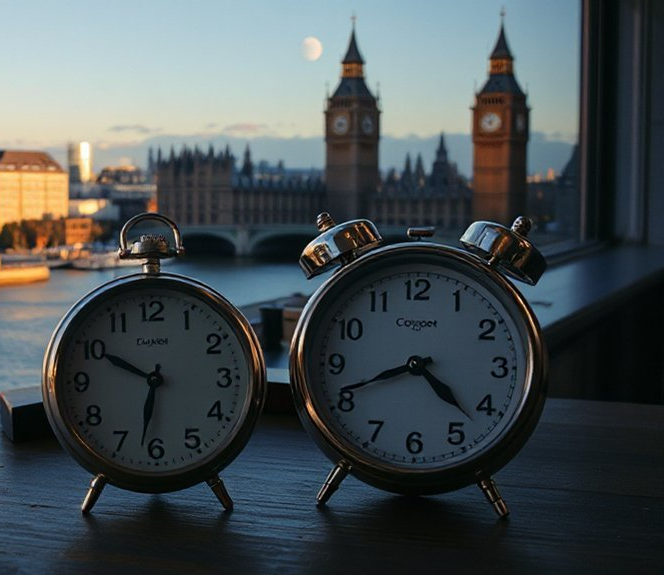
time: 4:41
